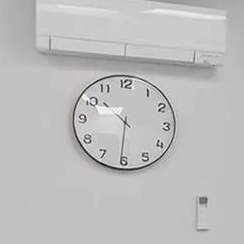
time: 10:30
